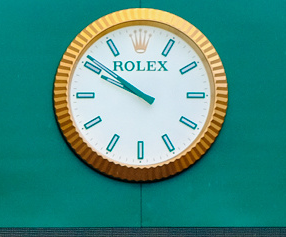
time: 9:50
